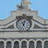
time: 11:02
